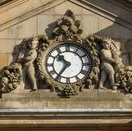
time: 10:36
